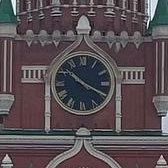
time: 10:19
